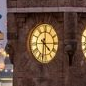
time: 4:31
